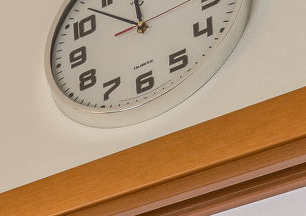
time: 11:52
